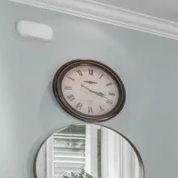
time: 3:18
